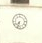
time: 7:33
